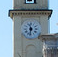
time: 11:32
